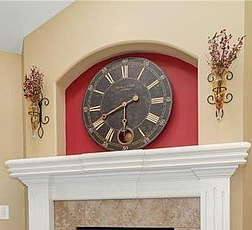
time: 5:41
